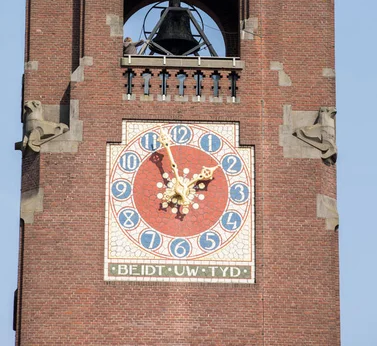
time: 1:57
